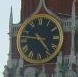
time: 4:46
